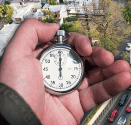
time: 6:00
